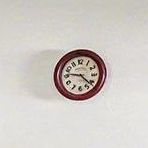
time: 9:22
